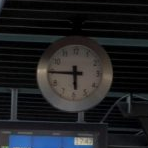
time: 5:45
